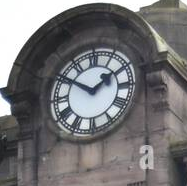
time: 1:50
